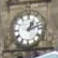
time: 1:12
